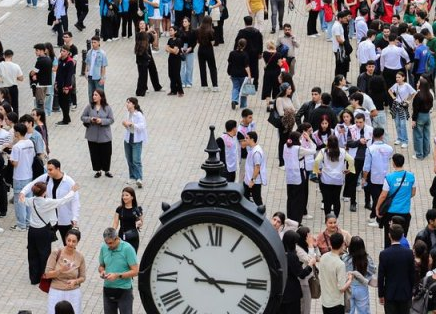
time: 10:15
